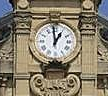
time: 12:59
